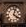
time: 4:03
